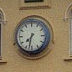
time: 7:32
